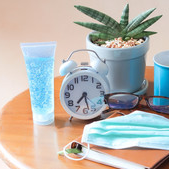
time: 7:28
